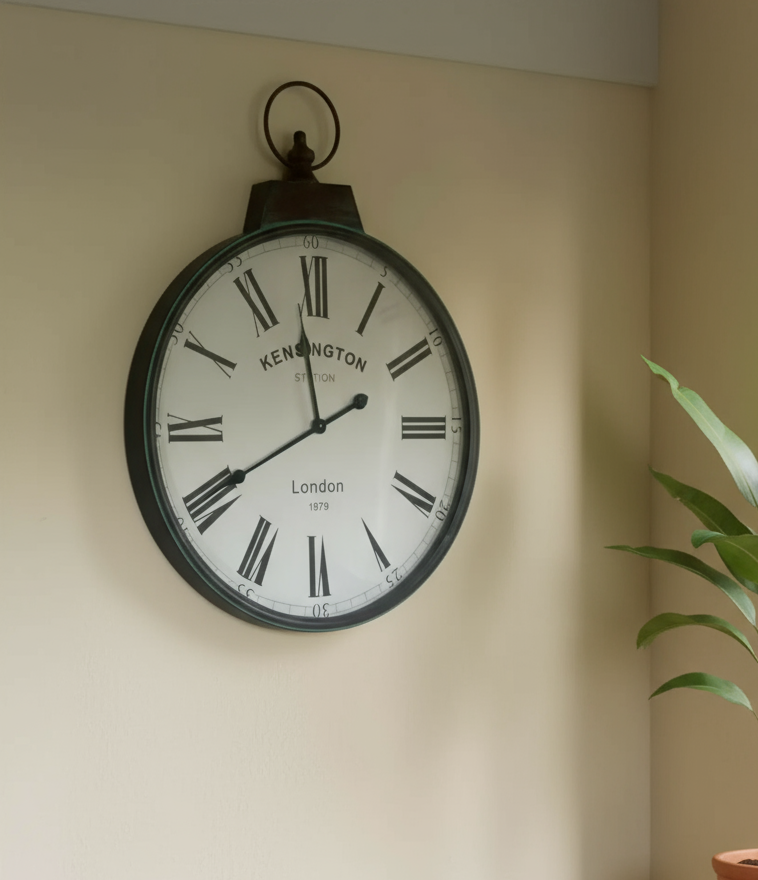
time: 11:40
